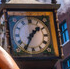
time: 1:34
